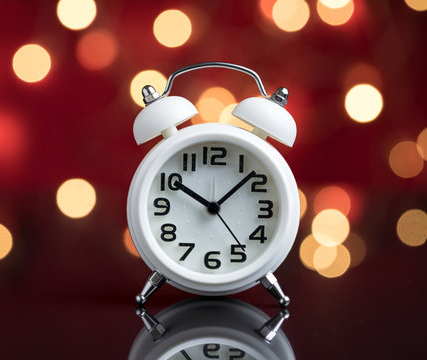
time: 10:07
